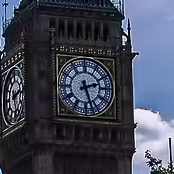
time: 2:26
